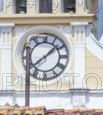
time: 1:38
